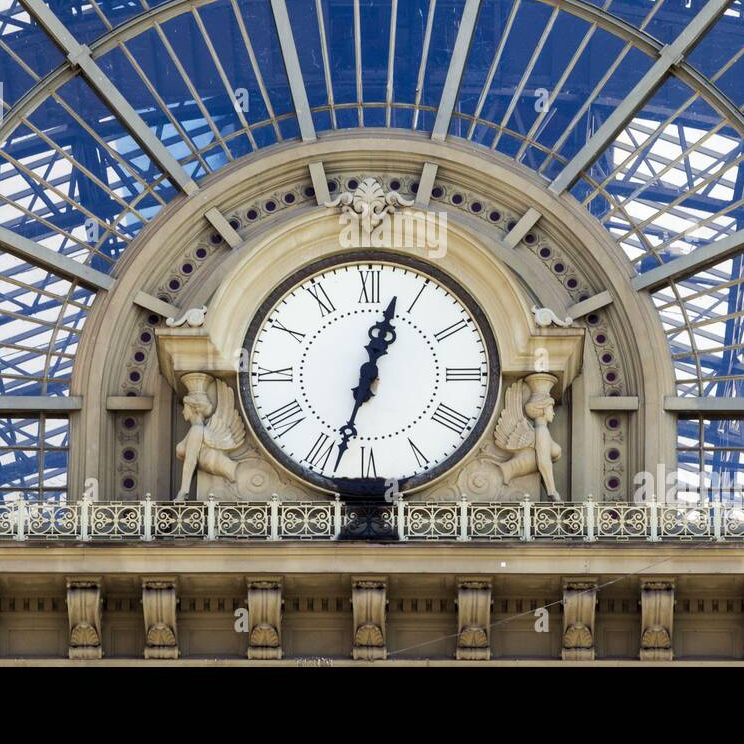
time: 12:32
